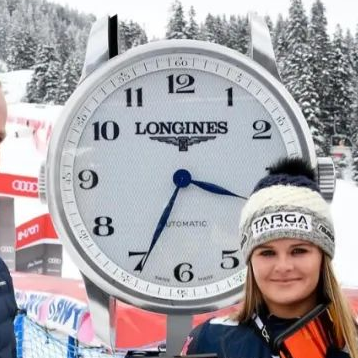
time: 3:34
